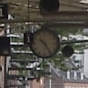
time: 10:24
